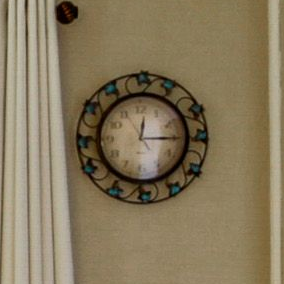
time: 12:15
